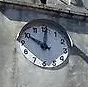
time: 10:00
